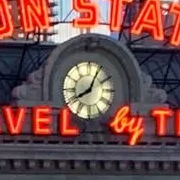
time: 8:04
